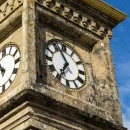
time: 6:56
